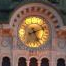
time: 5:11
